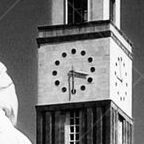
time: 3:30
